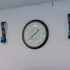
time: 1:38
